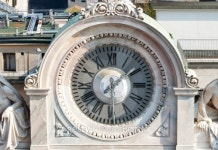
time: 12:07
